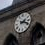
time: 2:18
